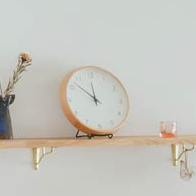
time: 11:52
